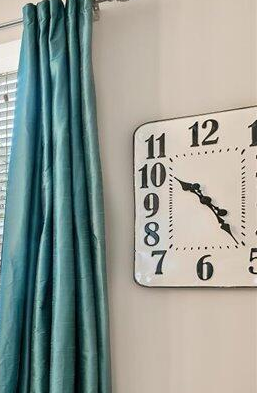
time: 10:24
